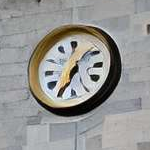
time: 6:34
